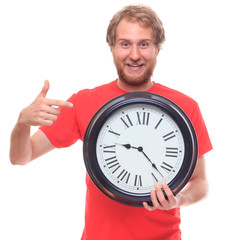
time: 9:22
